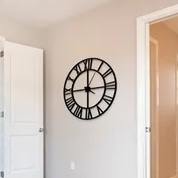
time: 5:59
